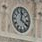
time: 12:20
